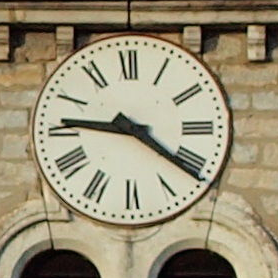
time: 9:21
